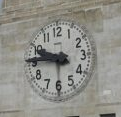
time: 9:45
